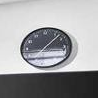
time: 3:07
